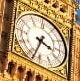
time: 3:33
